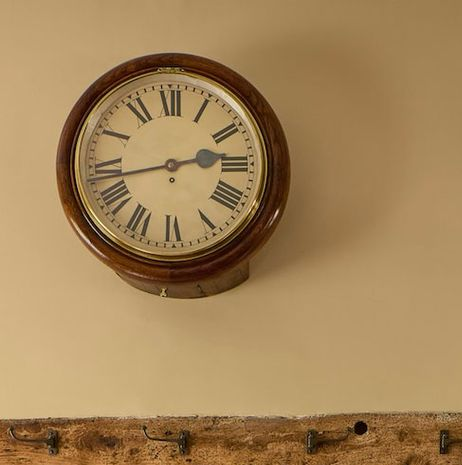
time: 2:43
